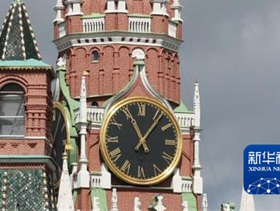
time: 11:06
